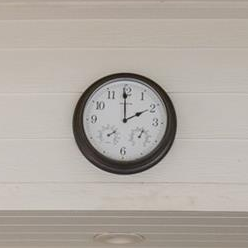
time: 1:59
